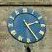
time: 2:24
